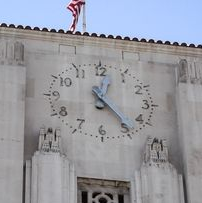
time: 12:23
